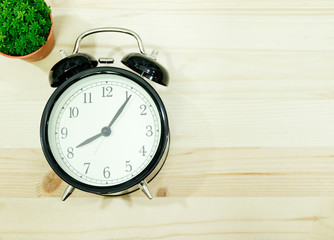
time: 8:06
